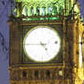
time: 4:45
